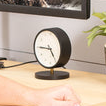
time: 4:45
